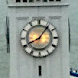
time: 8:06
